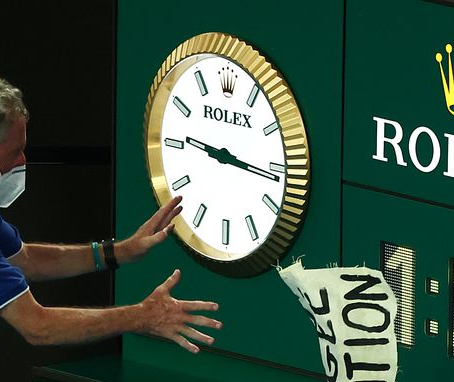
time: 9:16
